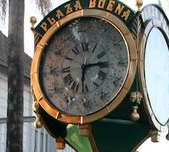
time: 6:14
